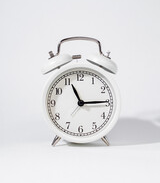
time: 11:14
